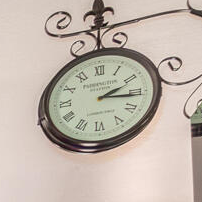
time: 2:15
